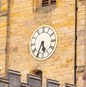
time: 5:34
